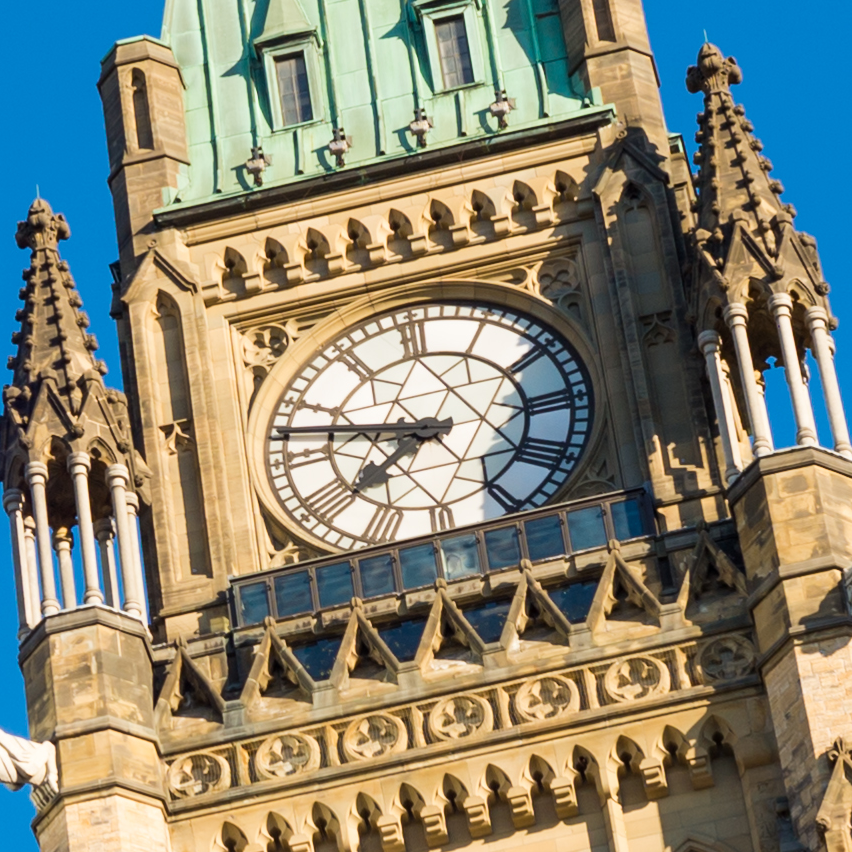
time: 7:47
